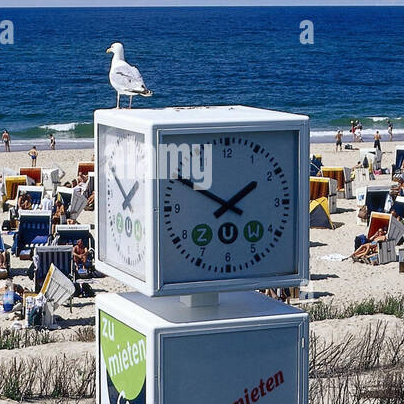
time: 1:50
